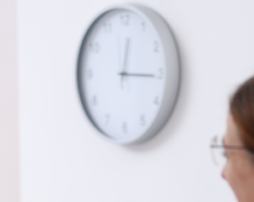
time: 12:15
